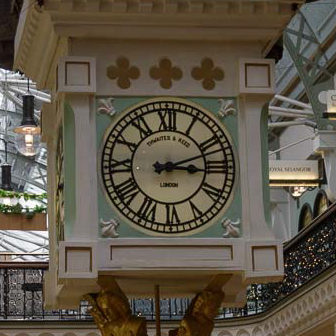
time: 3:11
